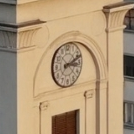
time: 3:11
